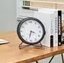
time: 3:32
